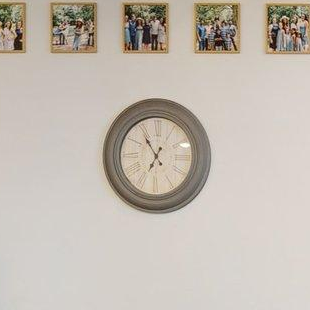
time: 6:54
